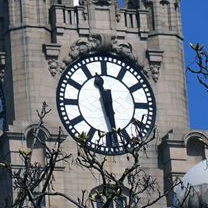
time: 11:28
